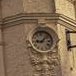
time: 9:07
